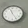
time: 11:25
